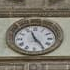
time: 11:24
